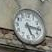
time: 5:15
